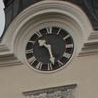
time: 10:27
